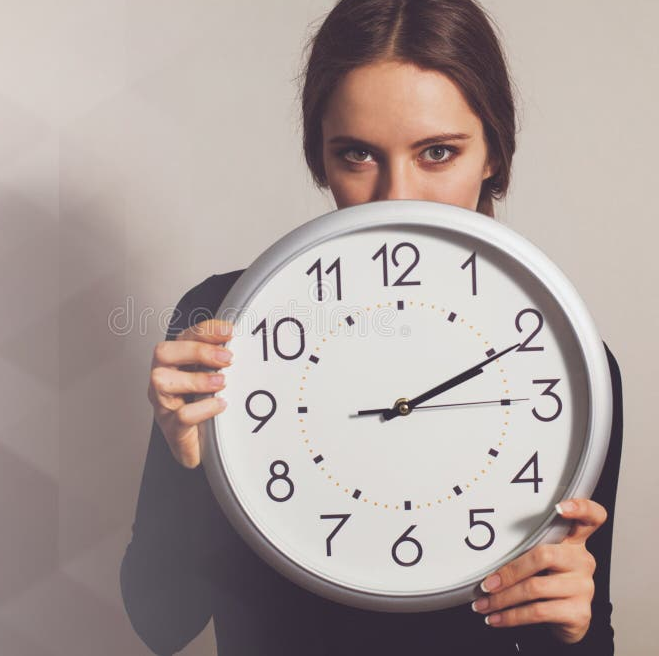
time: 2:10
